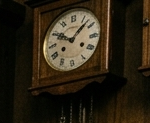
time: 10:07
